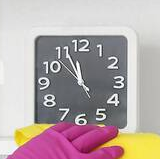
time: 11:55
